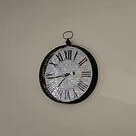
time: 7:43
